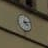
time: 4:12
